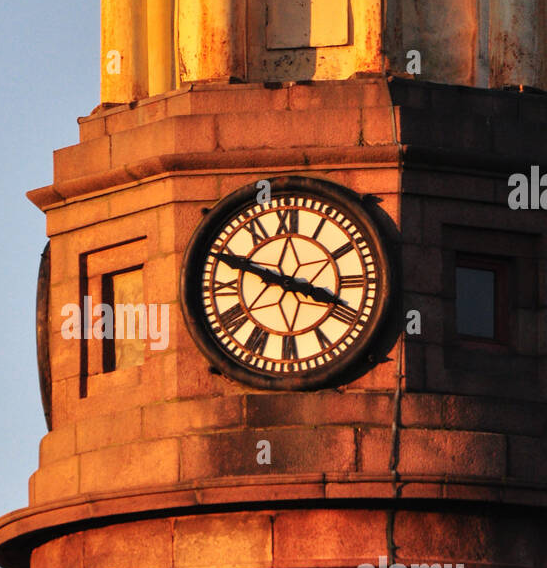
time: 3:48
